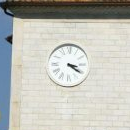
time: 3:20
